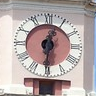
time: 12:30
